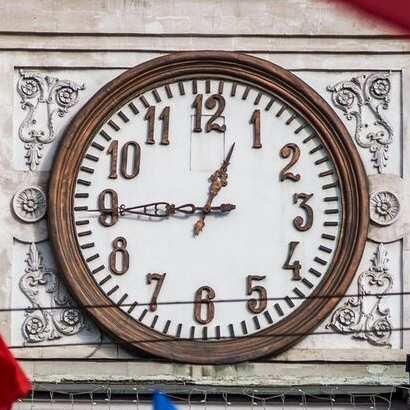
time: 12:44
